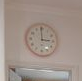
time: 2:59
